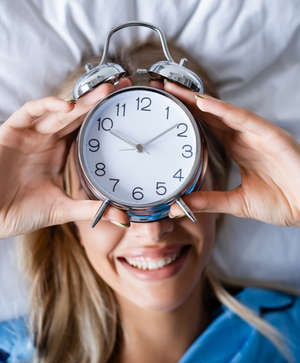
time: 1:49
